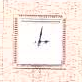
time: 3:01
